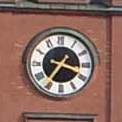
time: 3:36
